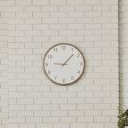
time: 9:07
